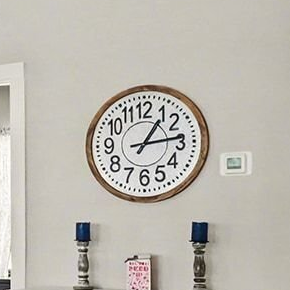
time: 1:13
